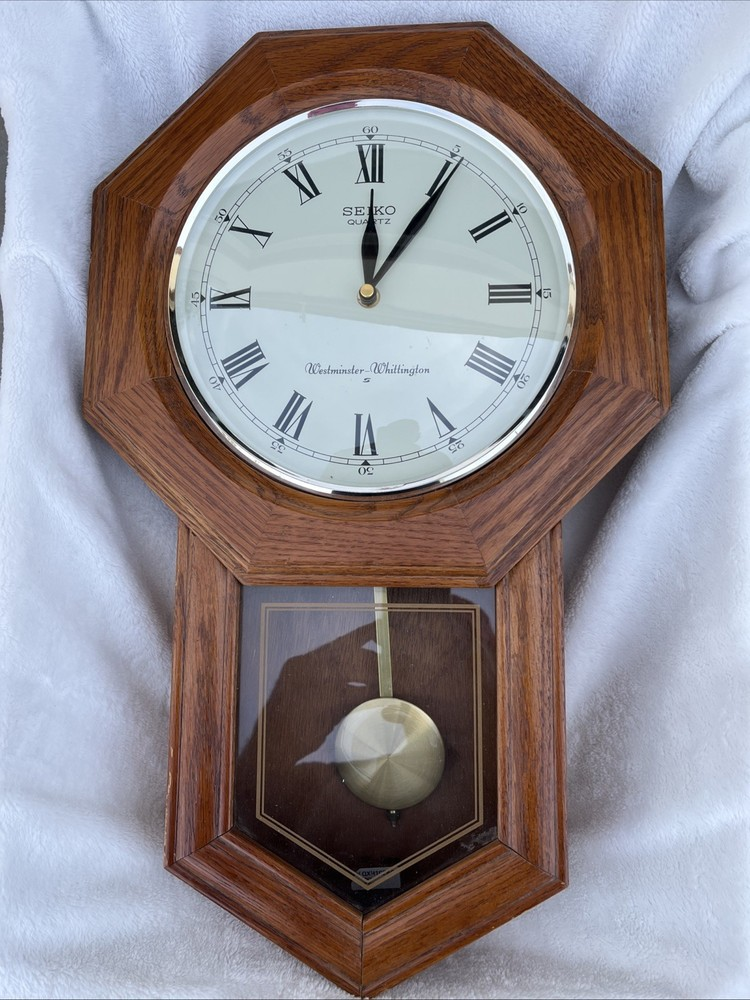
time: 12:05
